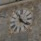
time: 11:21
